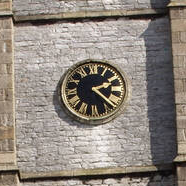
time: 2:21
